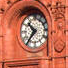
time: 10:36
